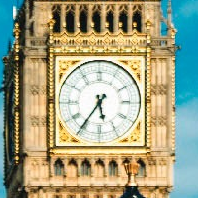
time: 5:36
